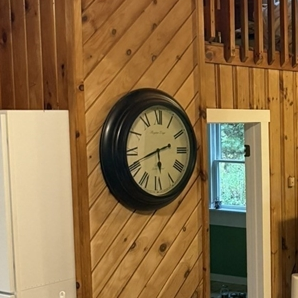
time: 5:41
